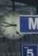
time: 8:47
